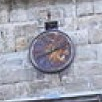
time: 8:11
